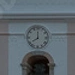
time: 7:59
